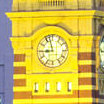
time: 8:57
